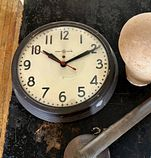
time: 10:10
